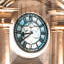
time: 8:38
